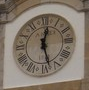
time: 12:27
